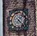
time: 1:22
